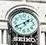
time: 1:40
